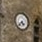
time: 4:37
